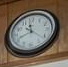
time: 11:41
